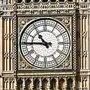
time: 10:45
